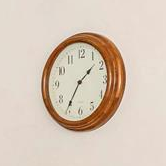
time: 1:35
